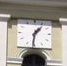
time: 1:31
